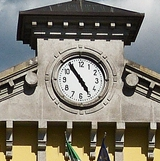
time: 4:54
